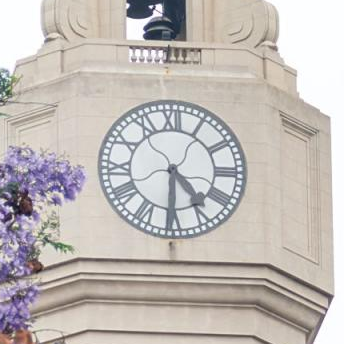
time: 4:30
